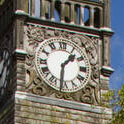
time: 1:31
